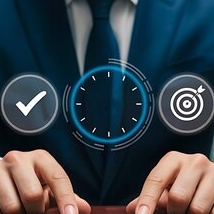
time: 6:01
